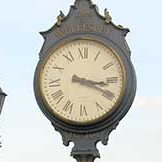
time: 3:19
